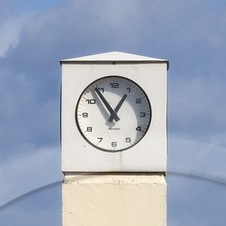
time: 12:54
